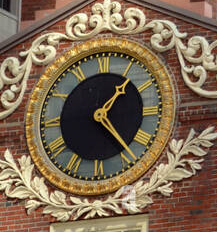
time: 1:23
